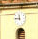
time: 11:46
